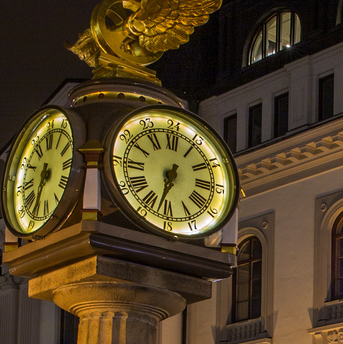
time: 6:32
